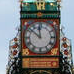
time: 11:51
